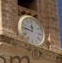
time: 11:46
